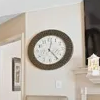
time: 12:23
